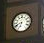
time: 6:41
